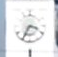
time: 3:34
